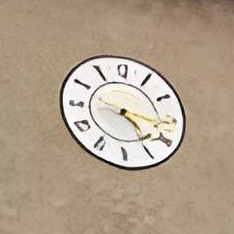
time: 4:16
